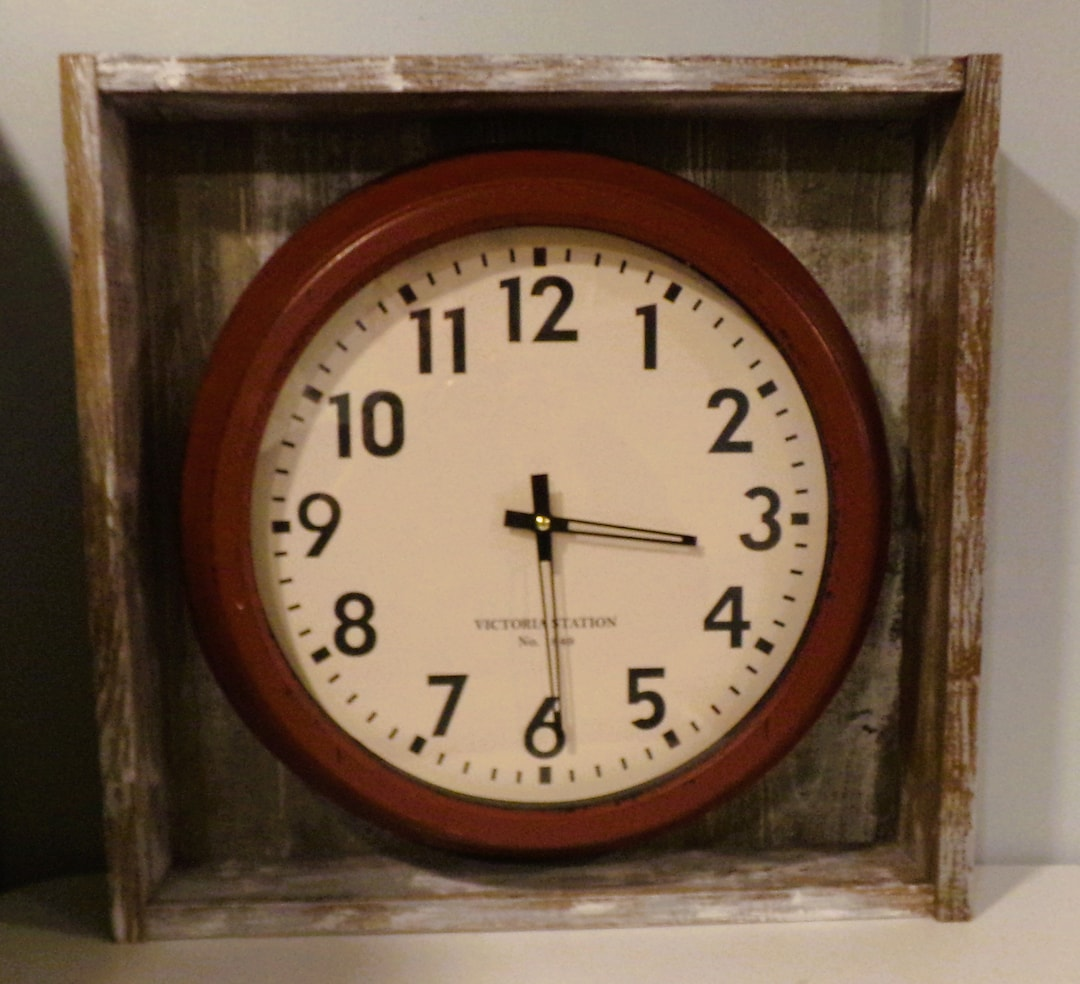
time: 3:29
